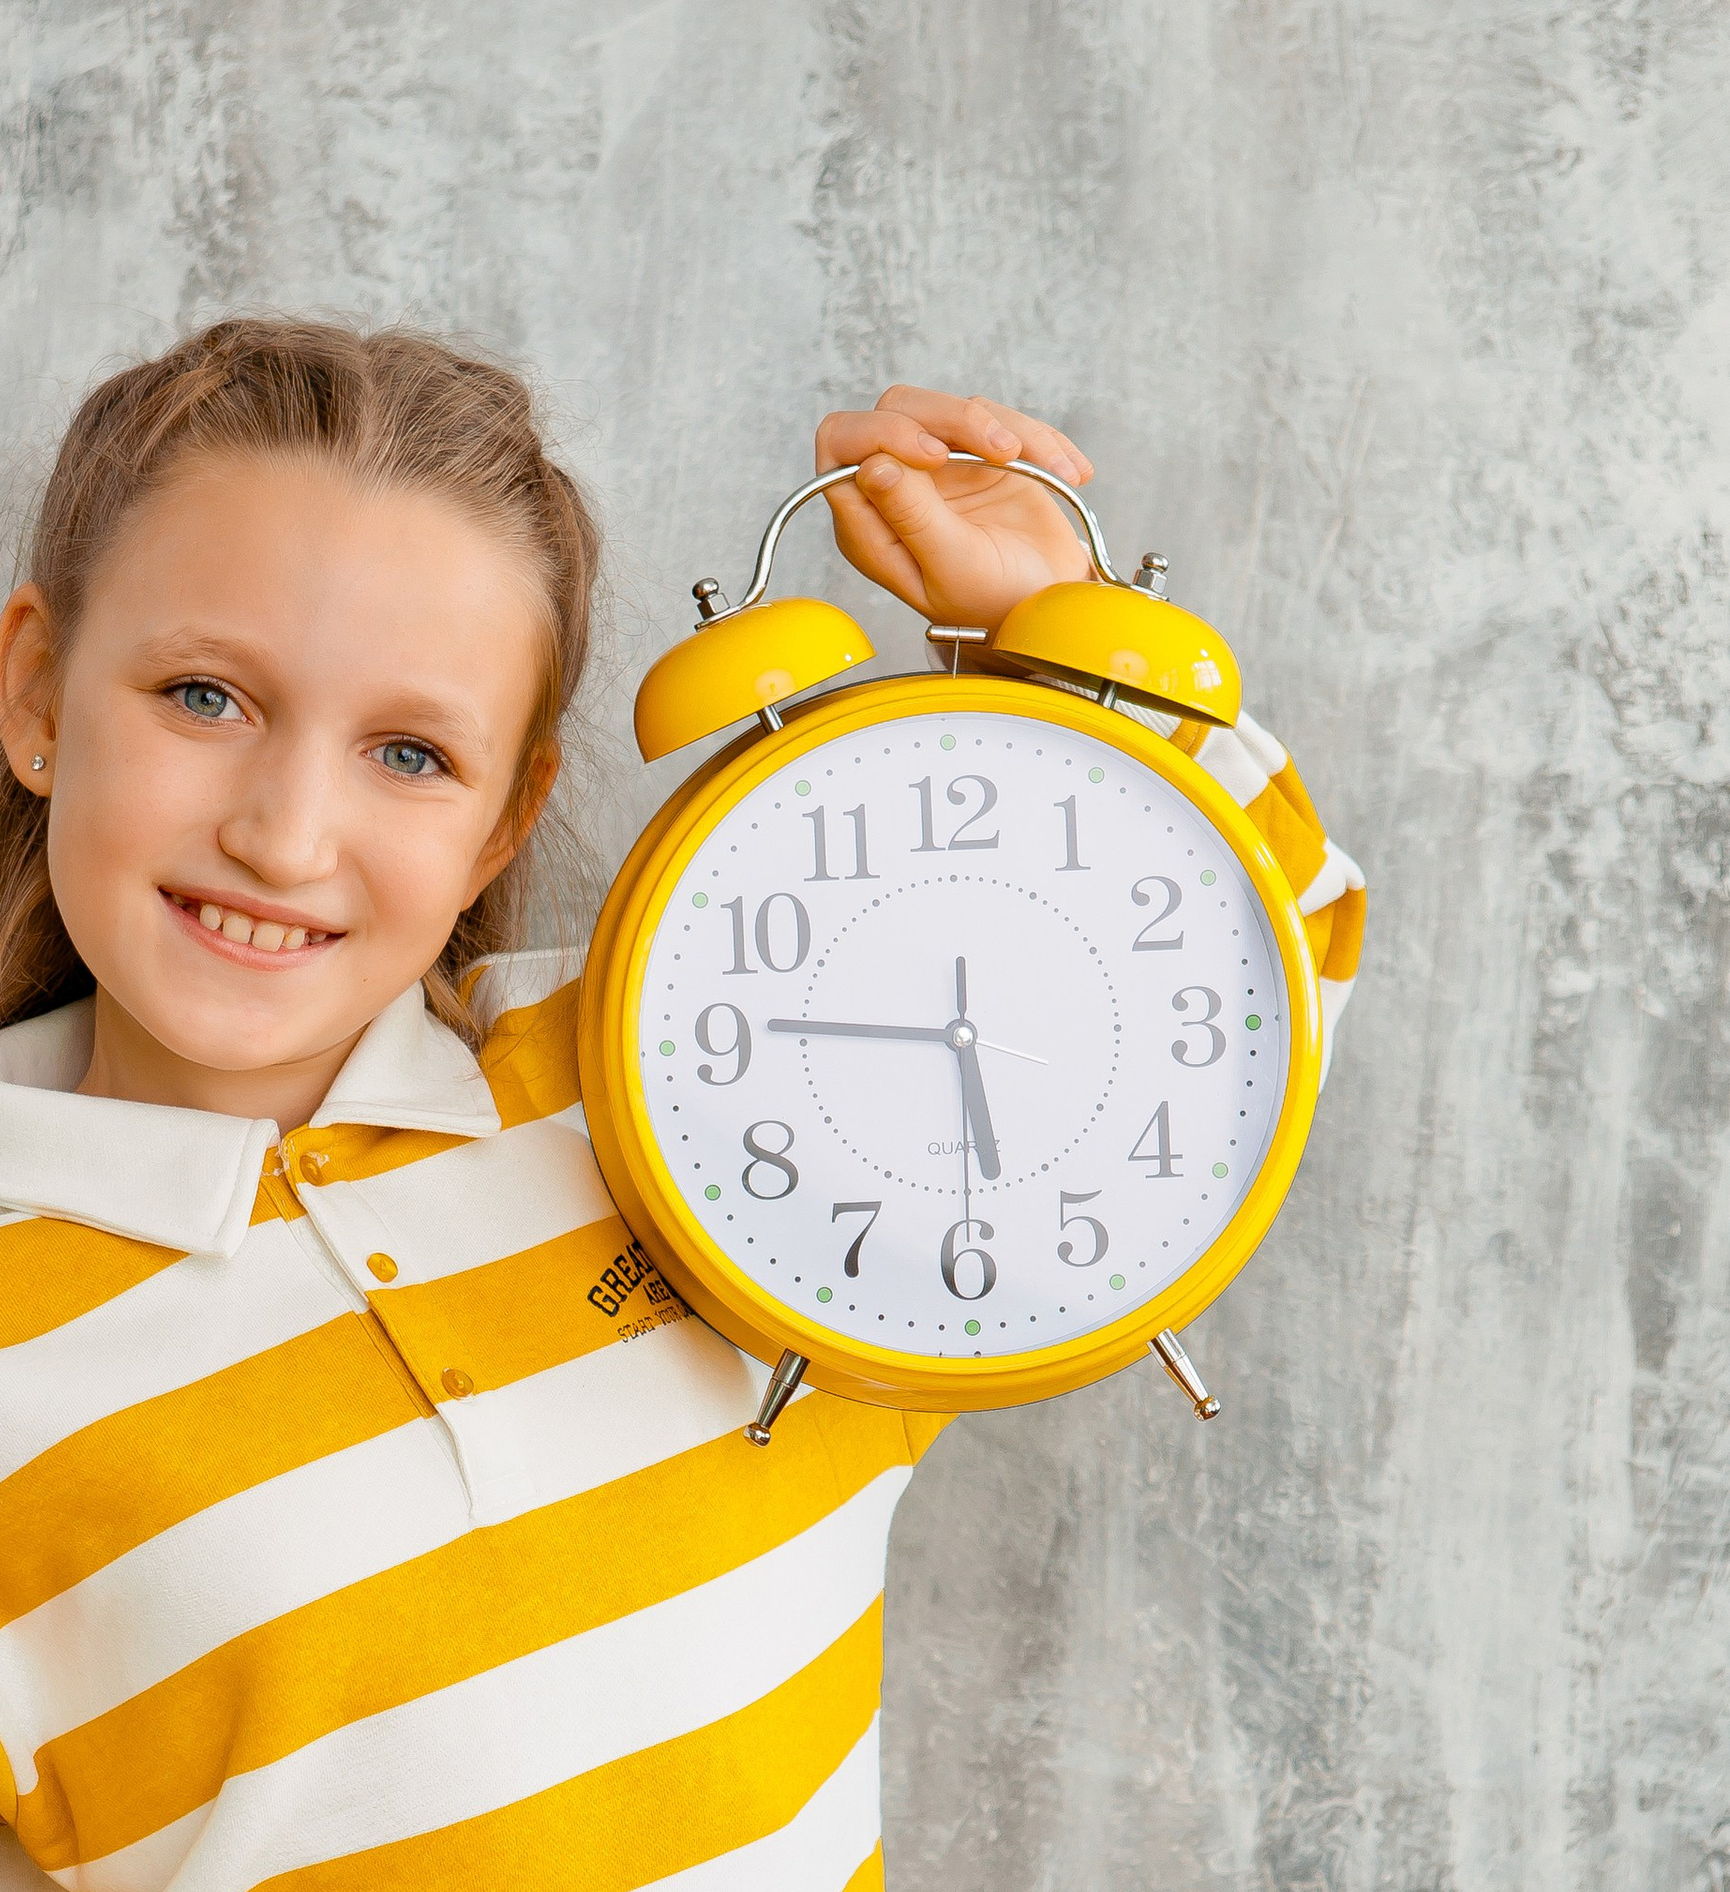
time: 5:45
